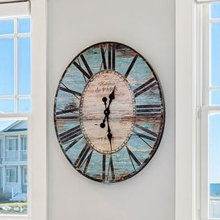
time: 12:28
